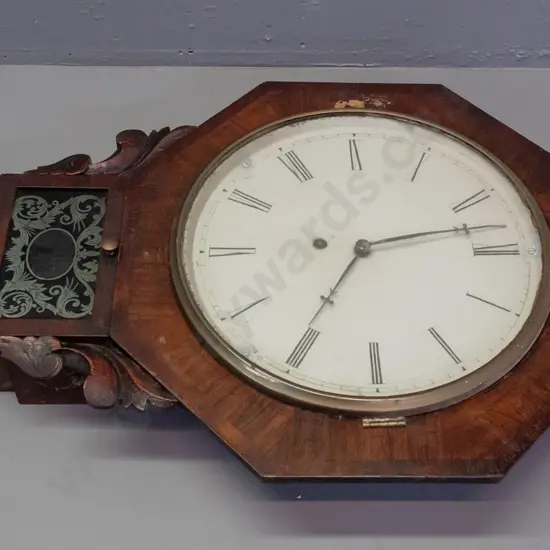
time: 2:35
